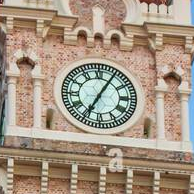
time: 7:05
